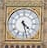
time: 4:27
